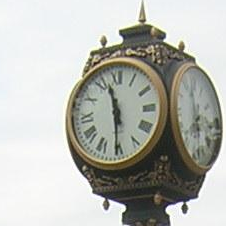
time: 11:30
